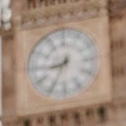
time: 8:34
